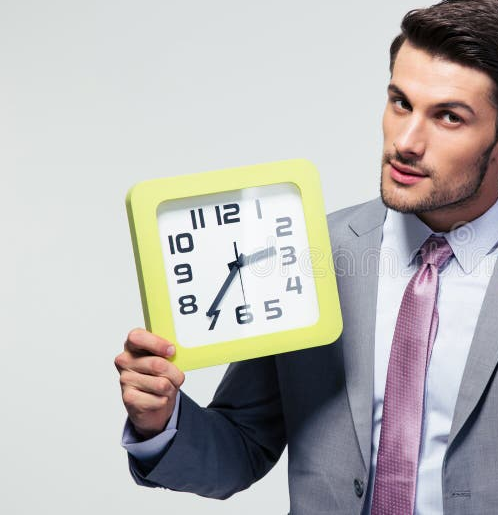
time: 2:36
